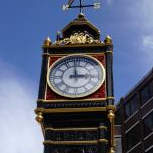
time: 2:59
